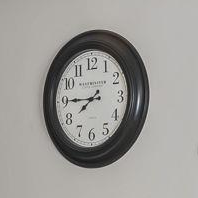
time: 7:44
